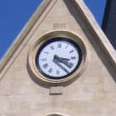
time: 3:21
